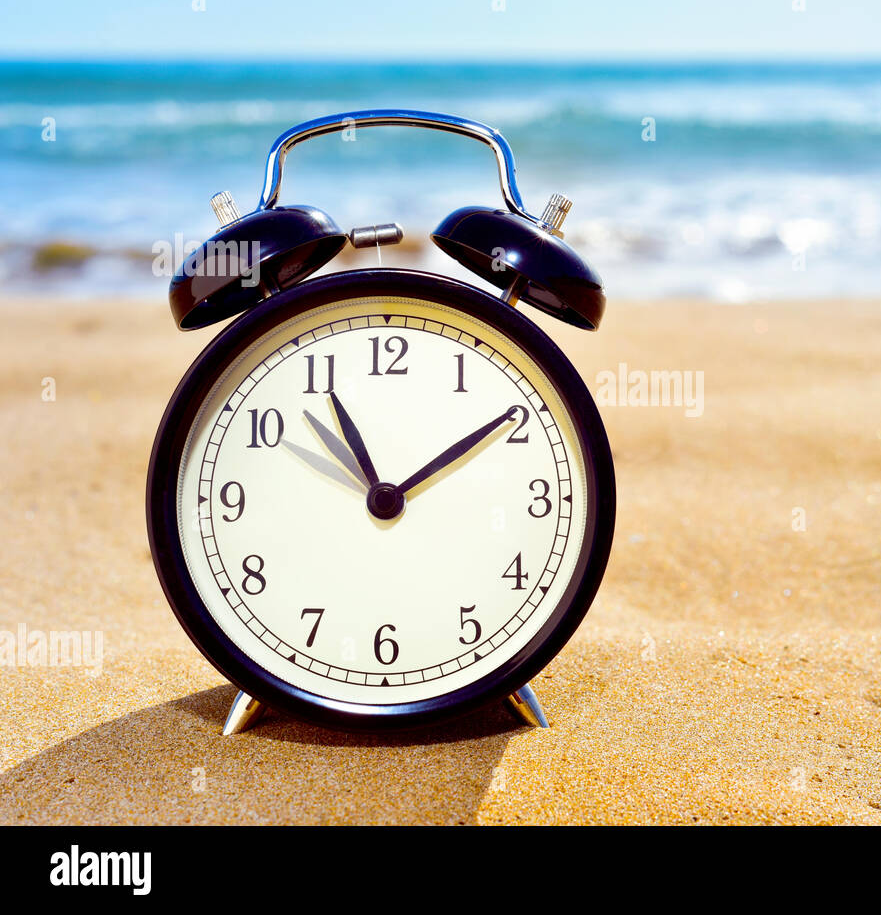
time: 11:09
